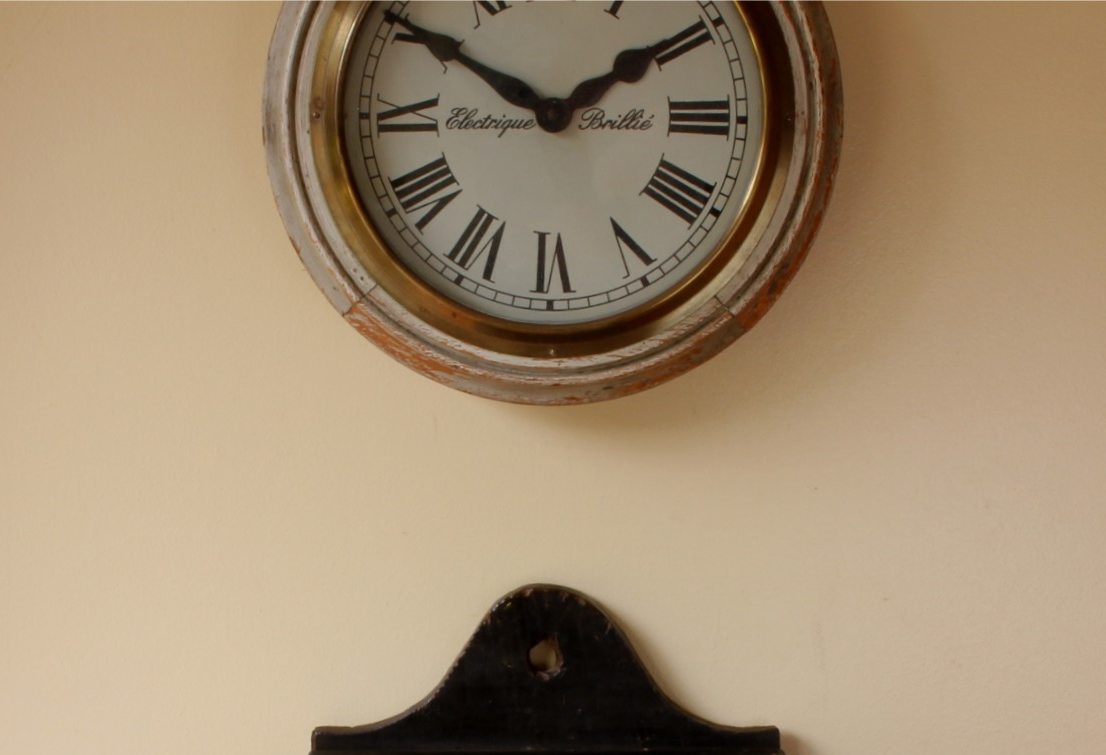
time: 1:50
